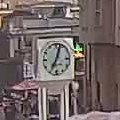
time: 7:03
